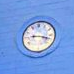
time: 9:17
